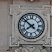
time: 7:51
